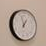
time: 12:57
